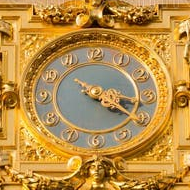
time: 4:17
